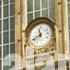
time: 11:40
